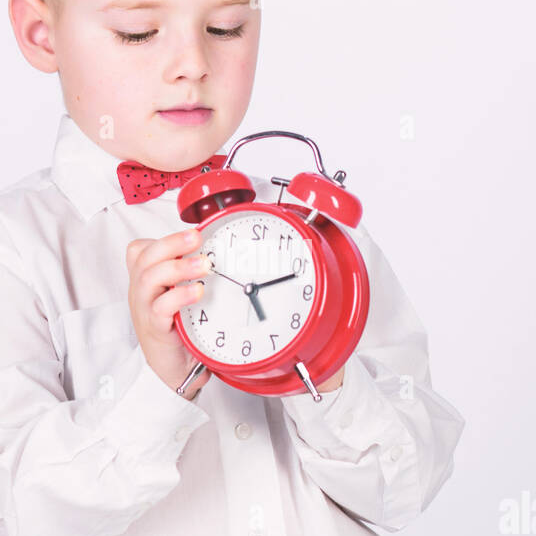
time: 5:11
